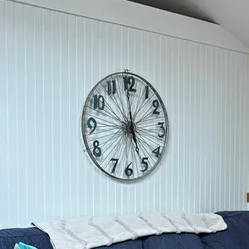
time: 4:59
